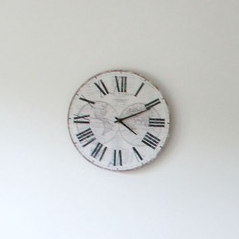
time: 4:10
